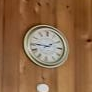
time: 9:10
